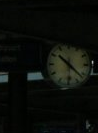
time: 10:22
